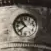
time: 10:38
